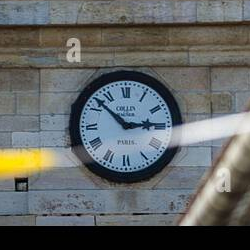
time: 2:52
